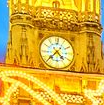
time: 4:37
